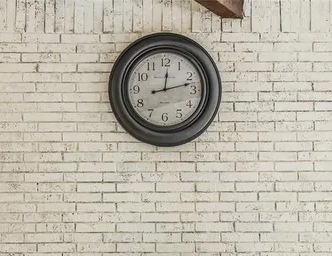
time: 12:12
